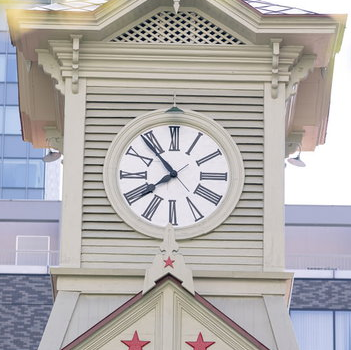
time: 7:53
